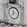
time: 11:37
